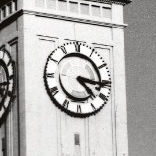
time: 4:16
